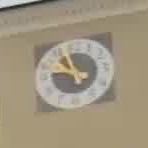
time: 10:47
